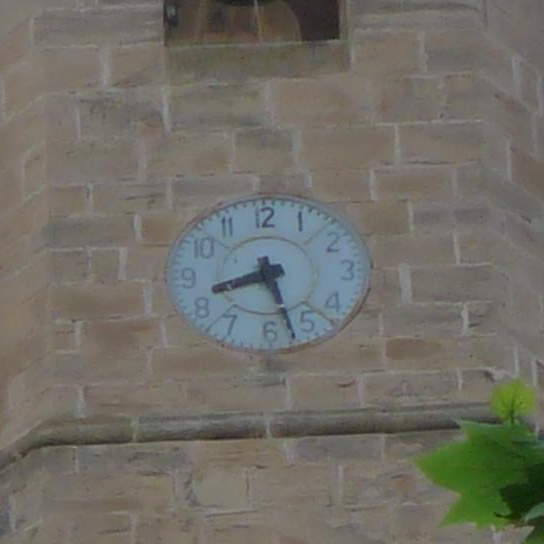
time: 8:27
